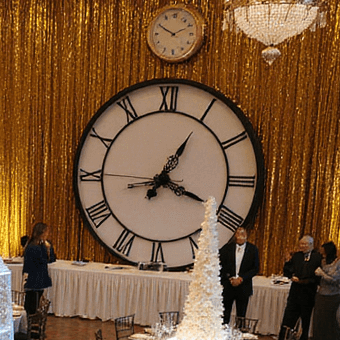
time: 1:18
